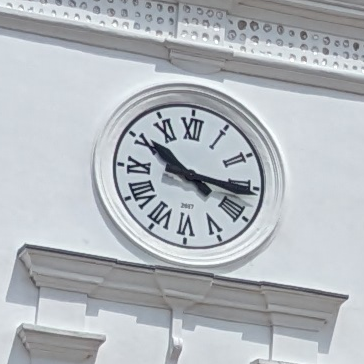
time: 10:15
